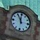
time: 11:55
